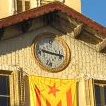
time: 9:17
